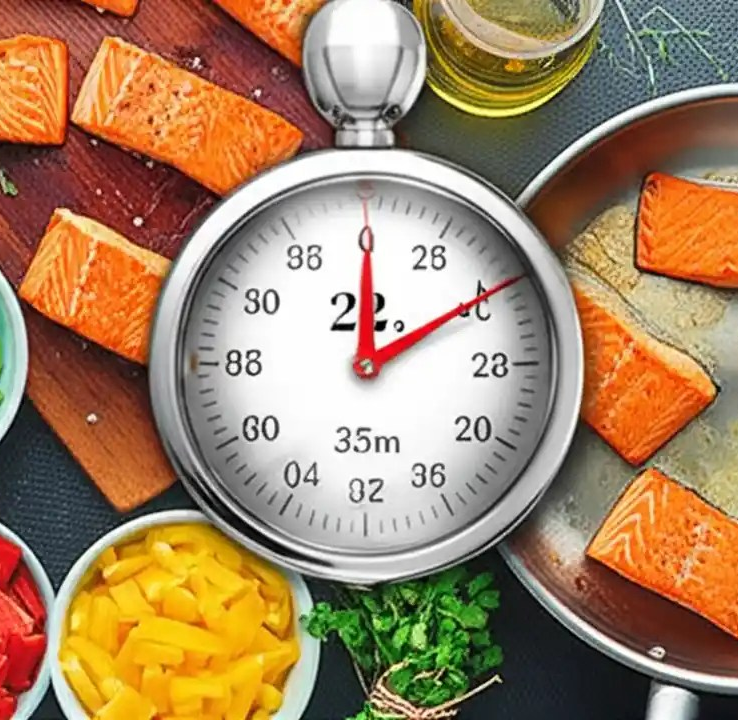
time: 12:09
